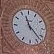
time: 11:22
